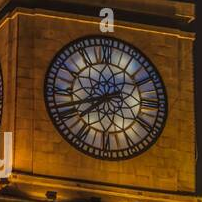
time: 7:41
